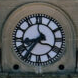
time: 8:36
